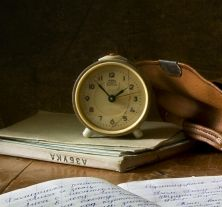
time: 1:52
